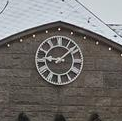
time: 9:08
